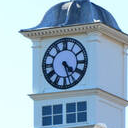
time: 4:27
